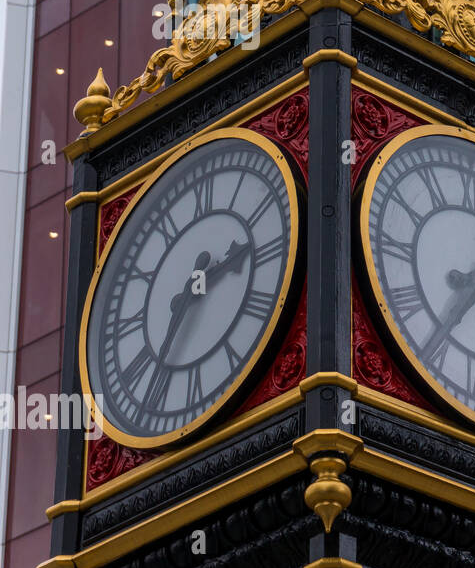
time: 2:35
